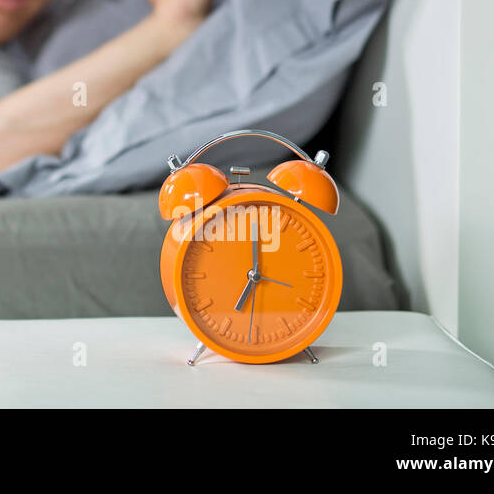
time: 7:00
